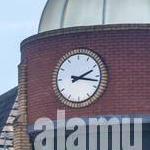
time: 2:17
